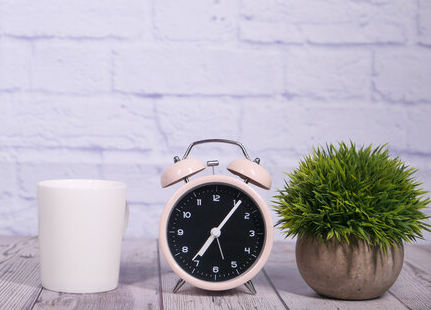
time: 7:06
